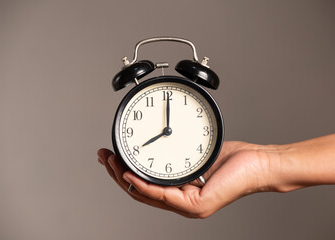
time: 8:00
